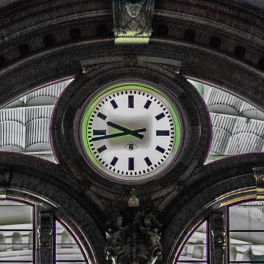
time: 9:43
